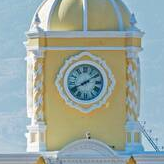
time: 8:09
